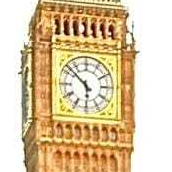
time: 5:51
